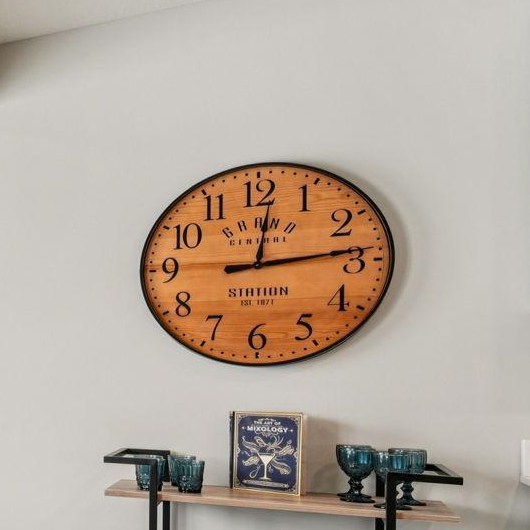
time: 12:13
